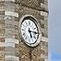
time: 5:15
